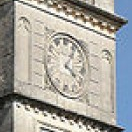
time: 4:04
